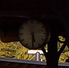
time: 5:30
